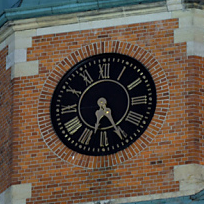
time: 6:25
